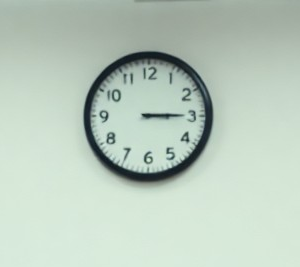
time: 3:14
